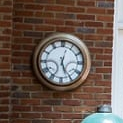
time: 12:26
